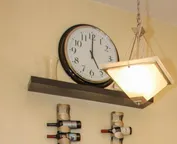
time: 5:00
